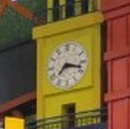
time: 7:17
